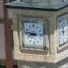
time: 8:46
